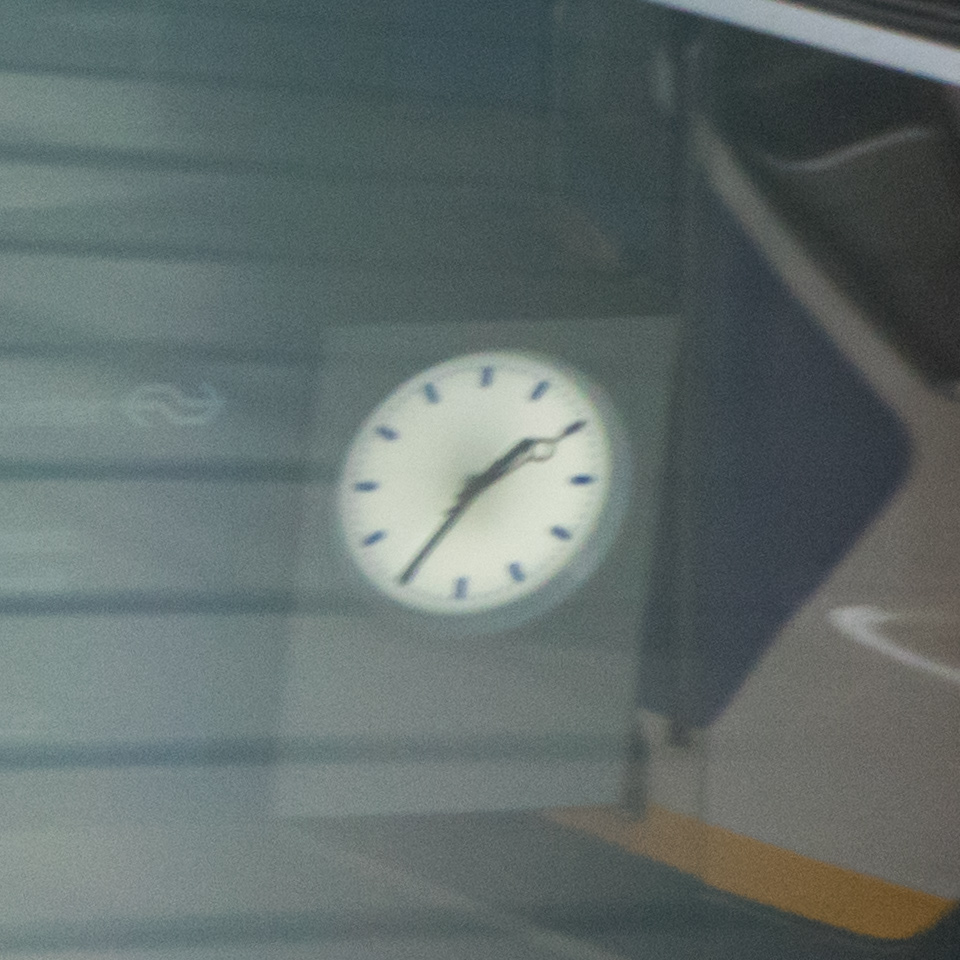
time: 1:35
